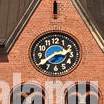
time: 2:38
